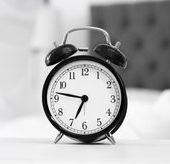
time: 6:47
